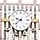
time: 9:38
